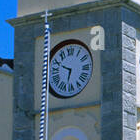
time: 9:32
